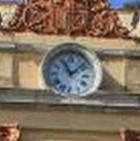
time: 11:07
